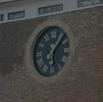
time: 6:06
